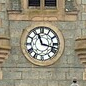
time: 11:17
